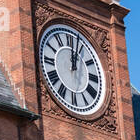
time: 12:03
